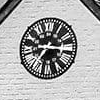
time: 7:15
